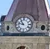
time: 10:47
